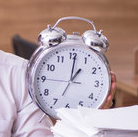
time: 1:00
